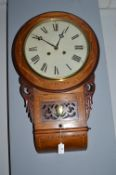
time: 12:50
